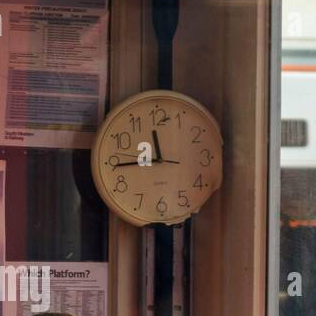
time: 11:44
